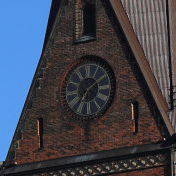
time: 7:09
